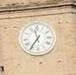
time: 11:35
